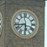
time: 5:42
